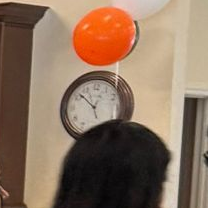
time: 12:52
